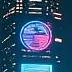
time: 11:13
